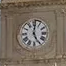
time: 5:00
